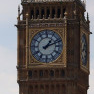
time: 1:11
